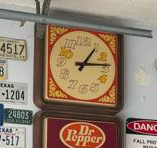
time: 1:13
